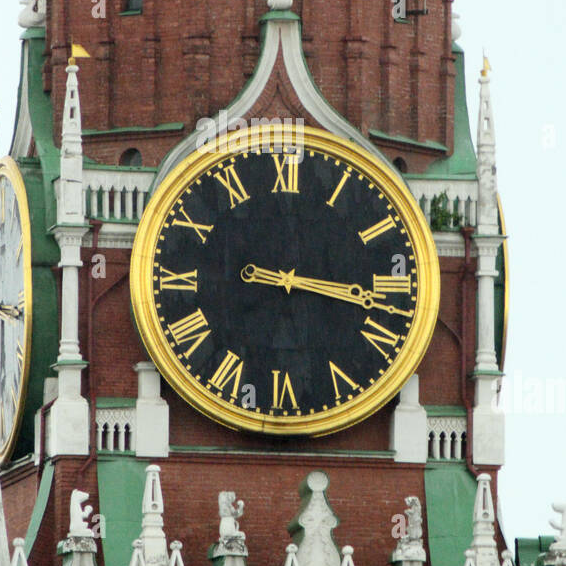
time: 3:17
